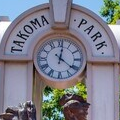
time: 12:21
